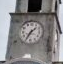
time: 1:35
